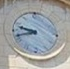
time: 9:42
